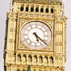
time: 5:21
